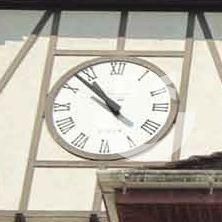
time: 10:52
